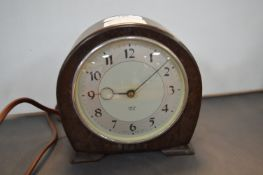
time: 9:08
